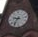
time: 9:36
